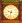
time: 9:32
